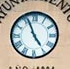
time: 4:56
